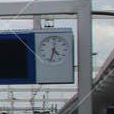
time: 4:33
